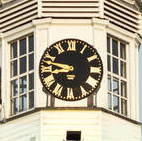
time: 8:47
